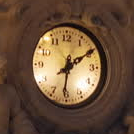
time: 6:09
